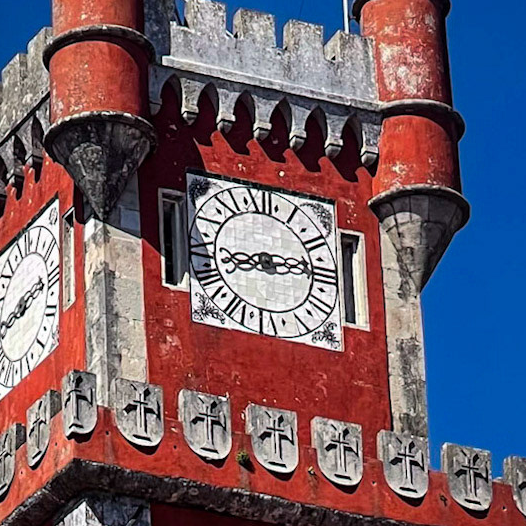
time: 8:13
